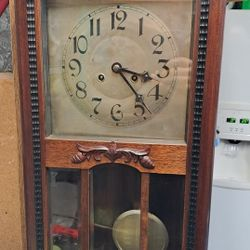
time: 3:23
